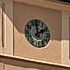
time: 1:59
